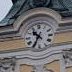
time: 10:34
